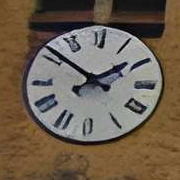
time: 1:51
